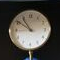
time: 10:50
